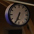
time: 6:34
